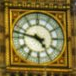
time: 4:47
